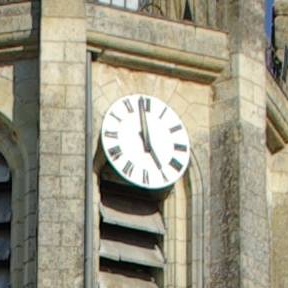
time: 4:58
